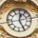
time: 12:24
